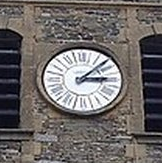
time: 3:08
